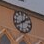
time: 1:39
